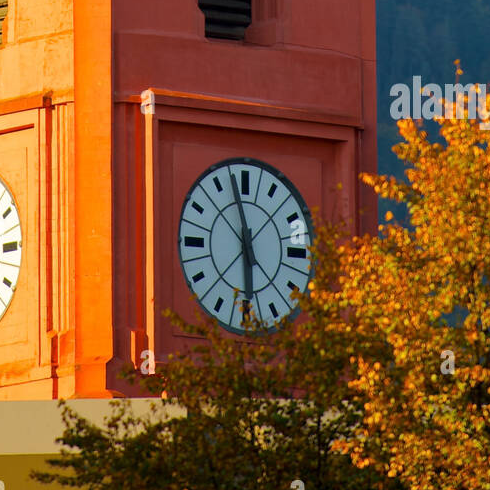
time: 5:57
